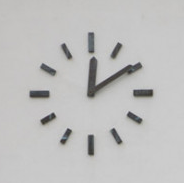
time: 12:09
